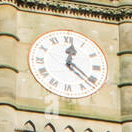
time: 12:21
